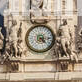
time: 4:14
